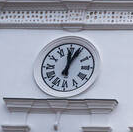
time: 12:03
